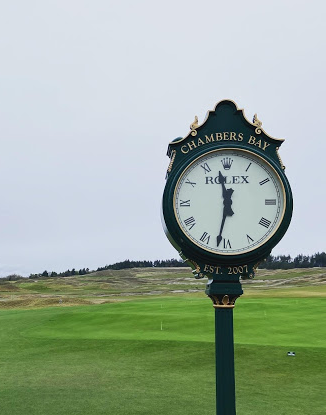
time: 11:32
